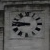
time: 8:47
